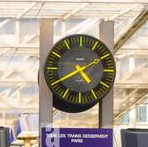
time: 4:40
